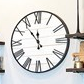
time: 11:53
